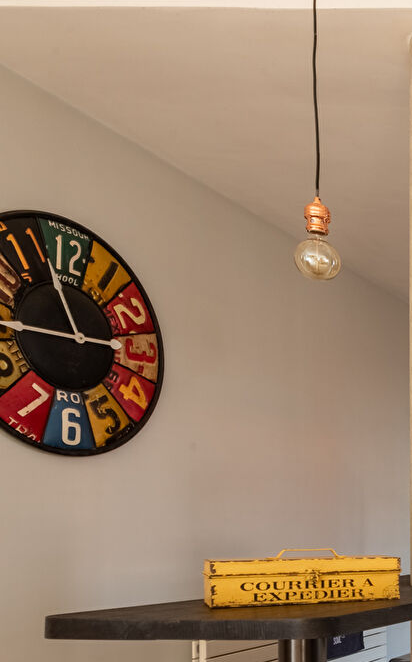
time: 2:56
